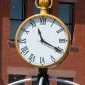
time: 11:19
